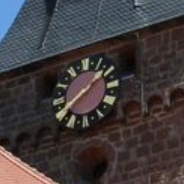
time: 1:38
